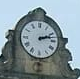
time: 2:12
